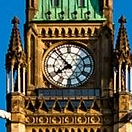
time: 7:52
